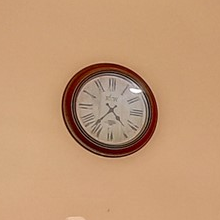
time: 4:36
